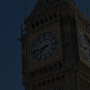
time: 7:43
